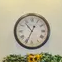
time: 10:34
